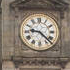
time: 9:22
